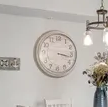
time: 3:17
